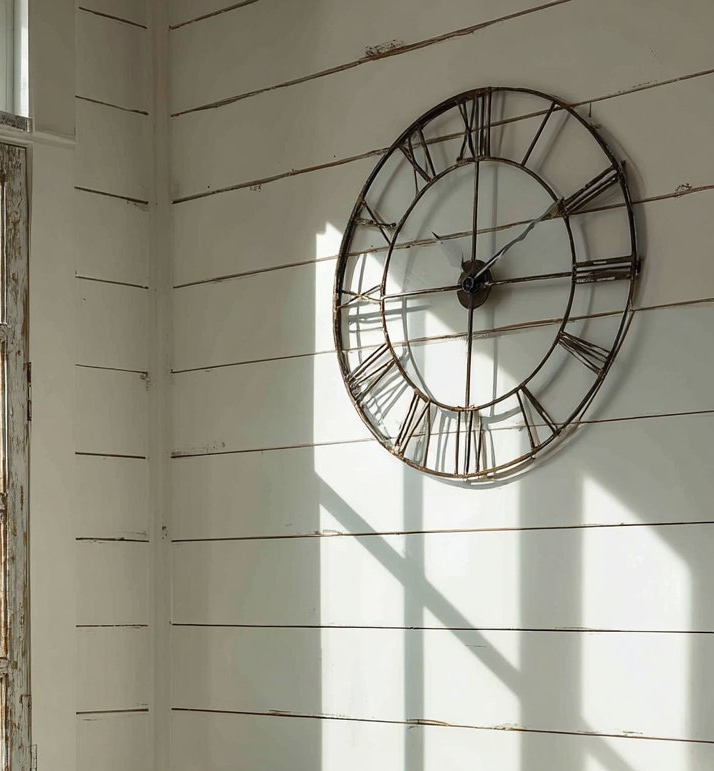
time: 2:00
